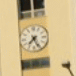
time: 7:25
